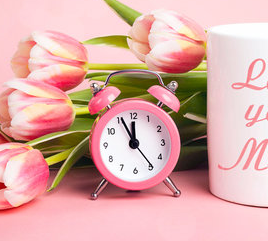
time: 11:55
